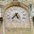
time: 7:25
